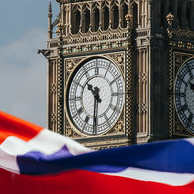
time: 10:31
